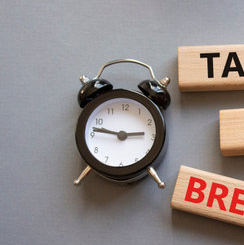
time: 2:46
